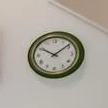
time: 10:08
